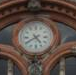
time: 4:40
